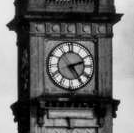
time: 2:23
